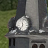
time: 11:35
